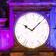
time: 10:07
